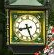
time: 8:27
